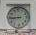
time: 8:45
